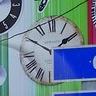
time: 1:50
